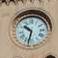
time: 10:32
